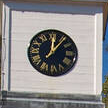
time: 12:06
